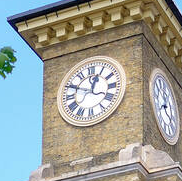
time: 12:49
